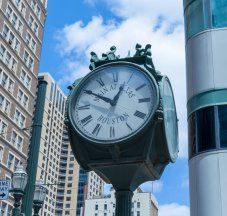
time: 12:50
